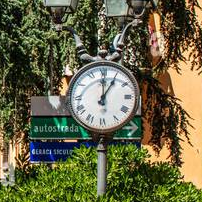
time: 1:00
